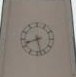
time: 8:27
